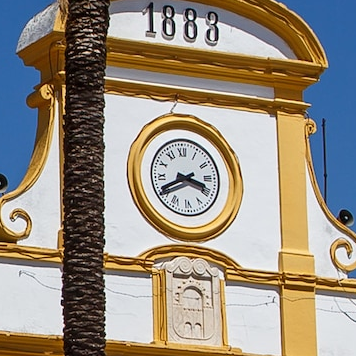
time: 3:40
